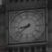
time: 8:38
